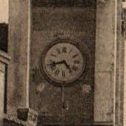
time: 4:42
